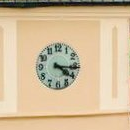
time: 4:16
